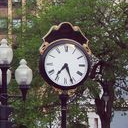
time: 7:26
